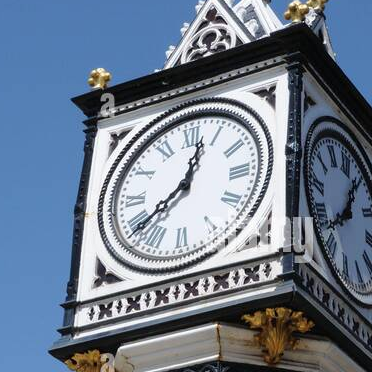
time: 12:38
